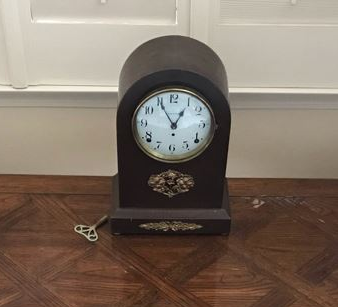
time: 12:55
